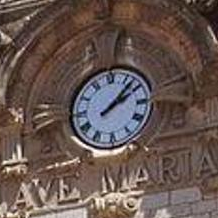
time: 2:07
